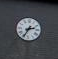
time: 2:34
